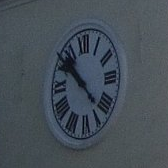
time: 10:22
